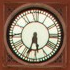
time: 5:33
